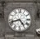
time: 4:42
